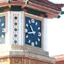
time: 10:43
